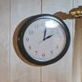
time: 2:01
